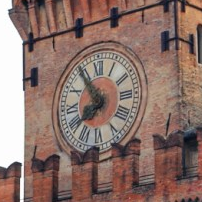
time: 7:54
